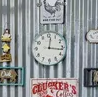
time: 12:16
